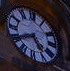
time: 4:40
